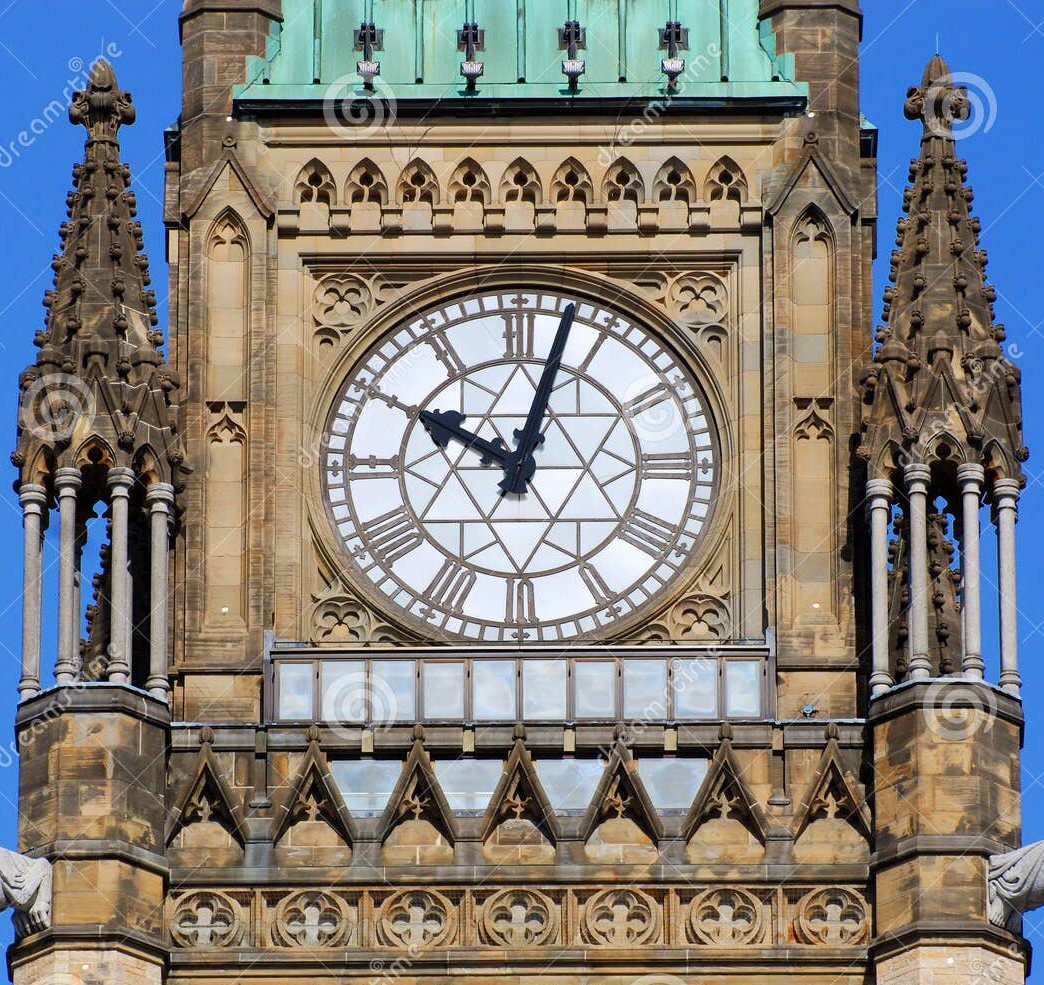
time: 10:02
